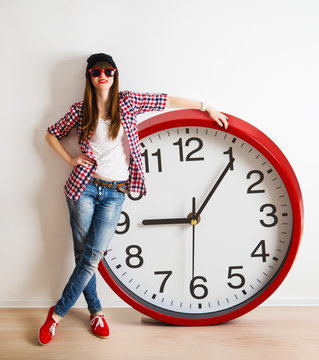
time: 9:06
